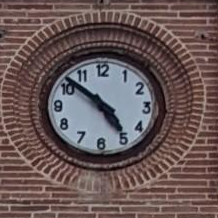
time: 4:51
